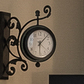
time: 6:07
